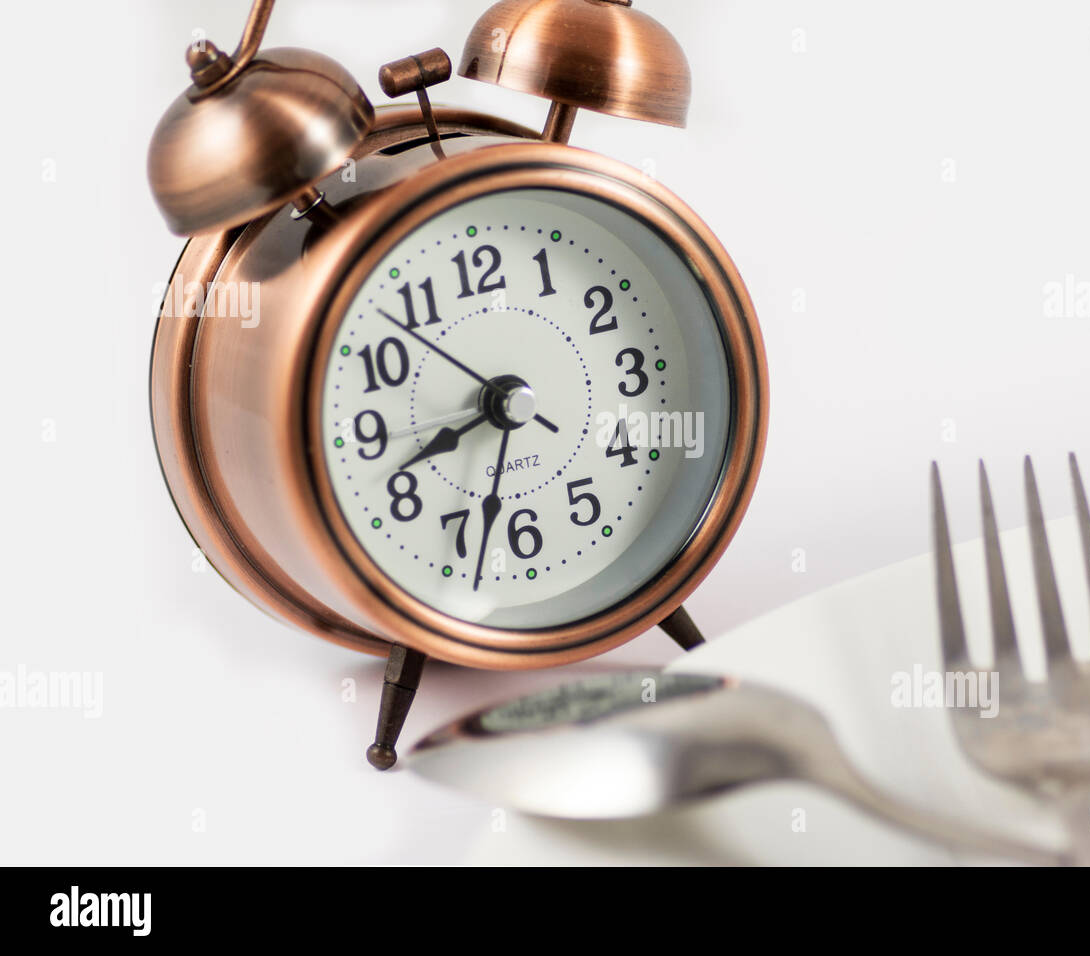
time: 8:33
